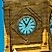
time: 11:05
